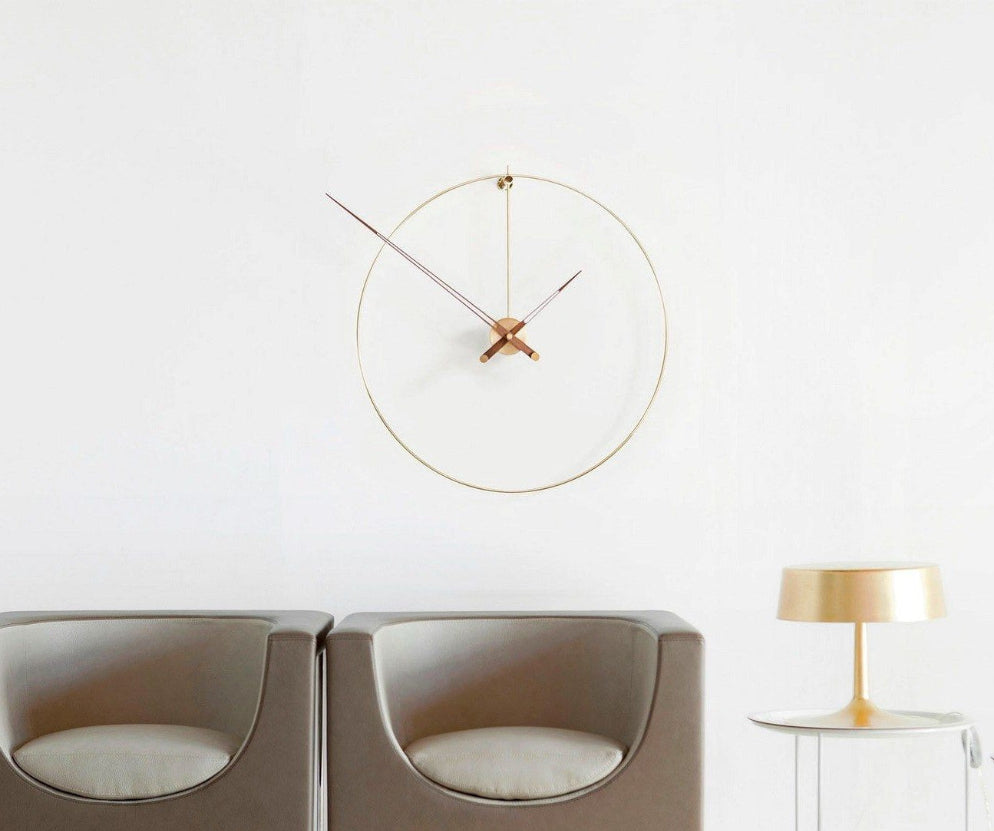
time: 1:51
